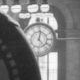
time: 12:23
